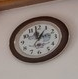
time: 12:58
